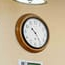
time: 10:24
